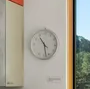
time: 10:28
